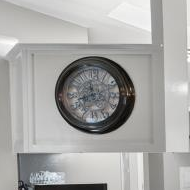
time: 8:34
